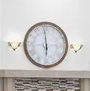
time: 5:59
